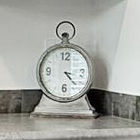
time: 4:23
